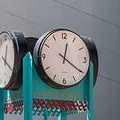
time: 12:20
